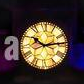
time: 10:13
